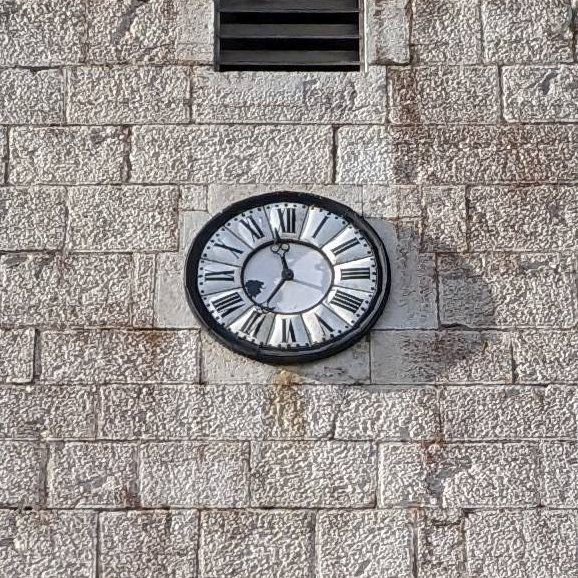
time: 11:35
